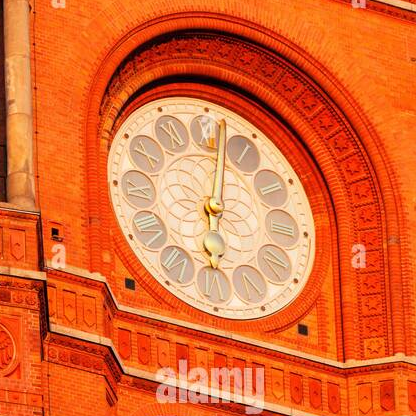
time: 6:01
